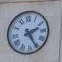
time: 2:25
